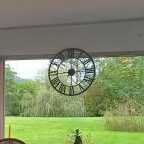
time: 2:44
